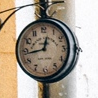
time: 12:43
